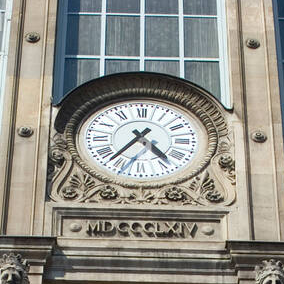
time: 4:36
